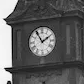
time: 1:54
